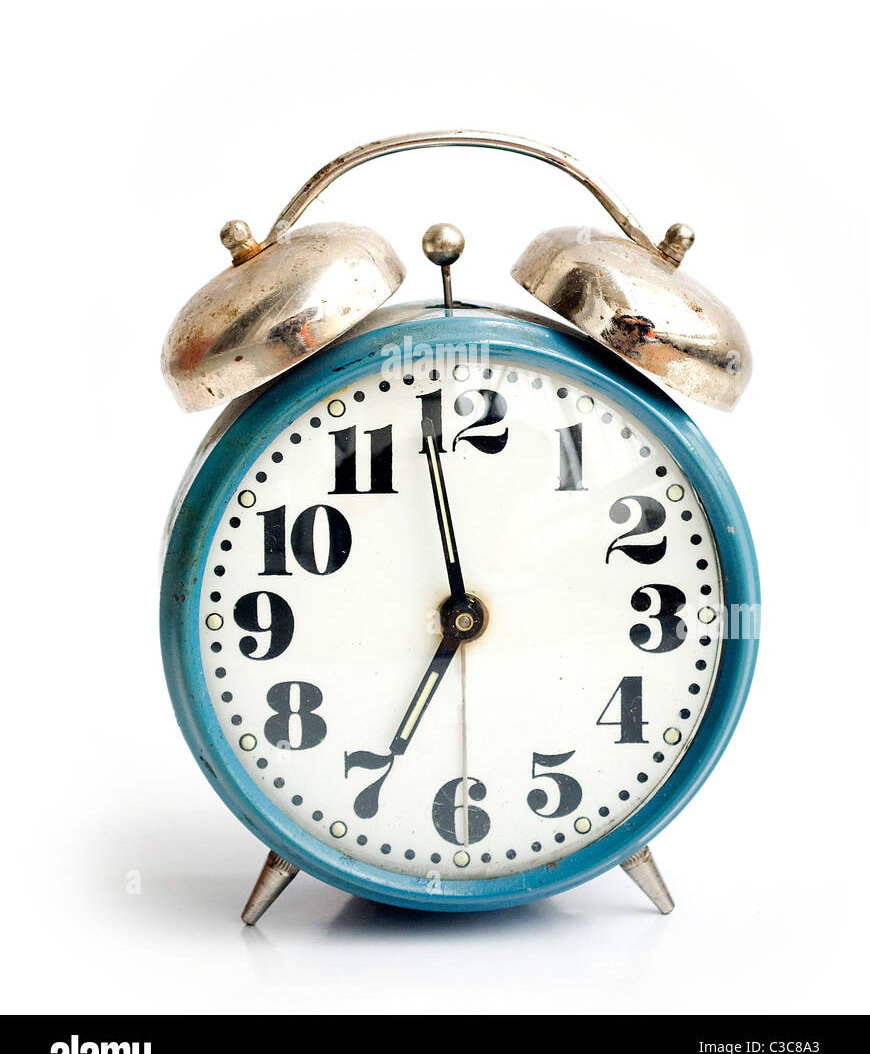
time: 6:58
